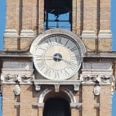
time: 3:43
